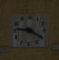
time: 9:20
